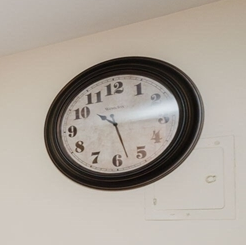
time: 10:27
